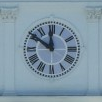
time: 11:50
